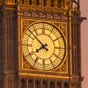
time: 7:51
